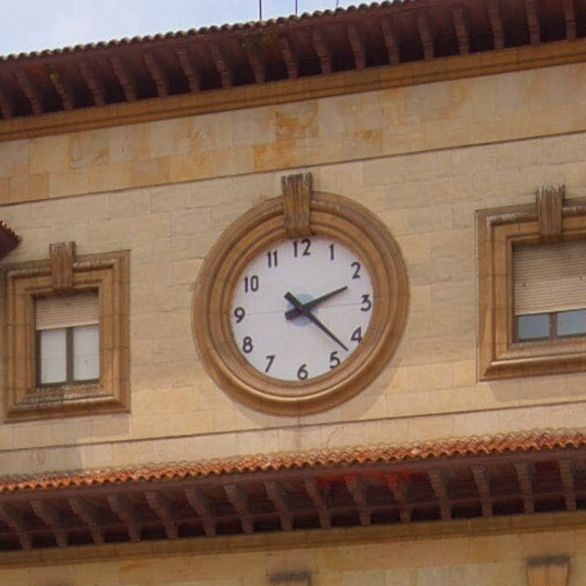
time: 2:22
